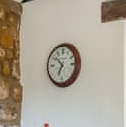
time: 6:51
